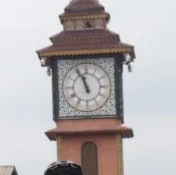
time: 11:56
